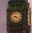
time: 9:20
